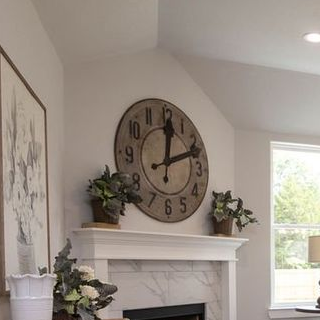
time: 12:11
